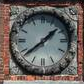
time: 1:38
